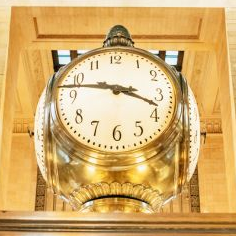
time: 3:46
